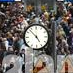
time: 4:52
